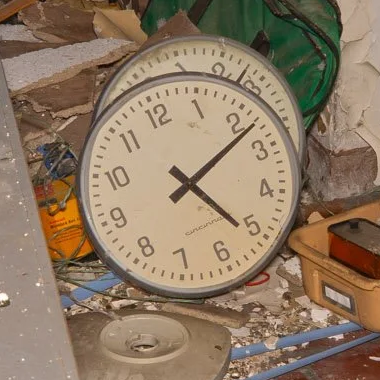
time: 5:12
